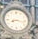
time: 8:16
